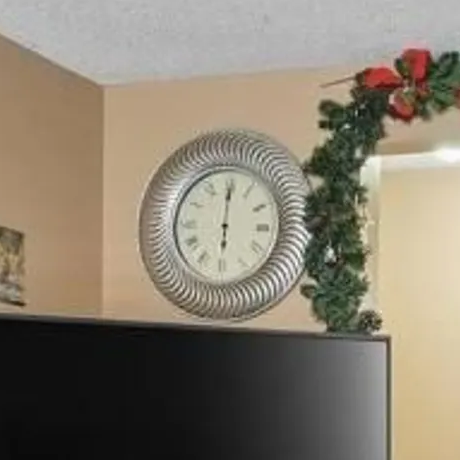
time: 6:00
